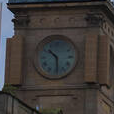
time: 10:29
